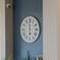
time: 5:59
